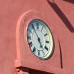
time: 4:54
